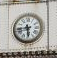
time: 5:43
